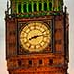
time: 8:13
